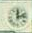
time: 12:12
